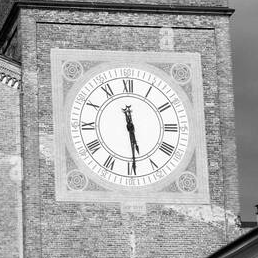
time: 5:29
